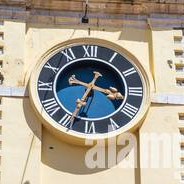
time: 3:34
